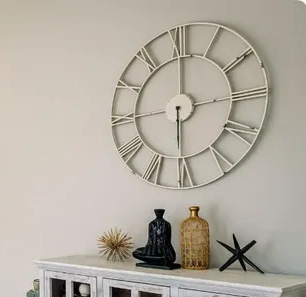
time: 6:00
